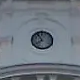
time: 7:54
